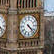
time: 4:22
